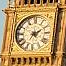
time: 7:09
